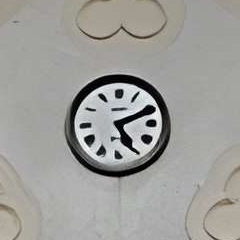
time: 5:11
